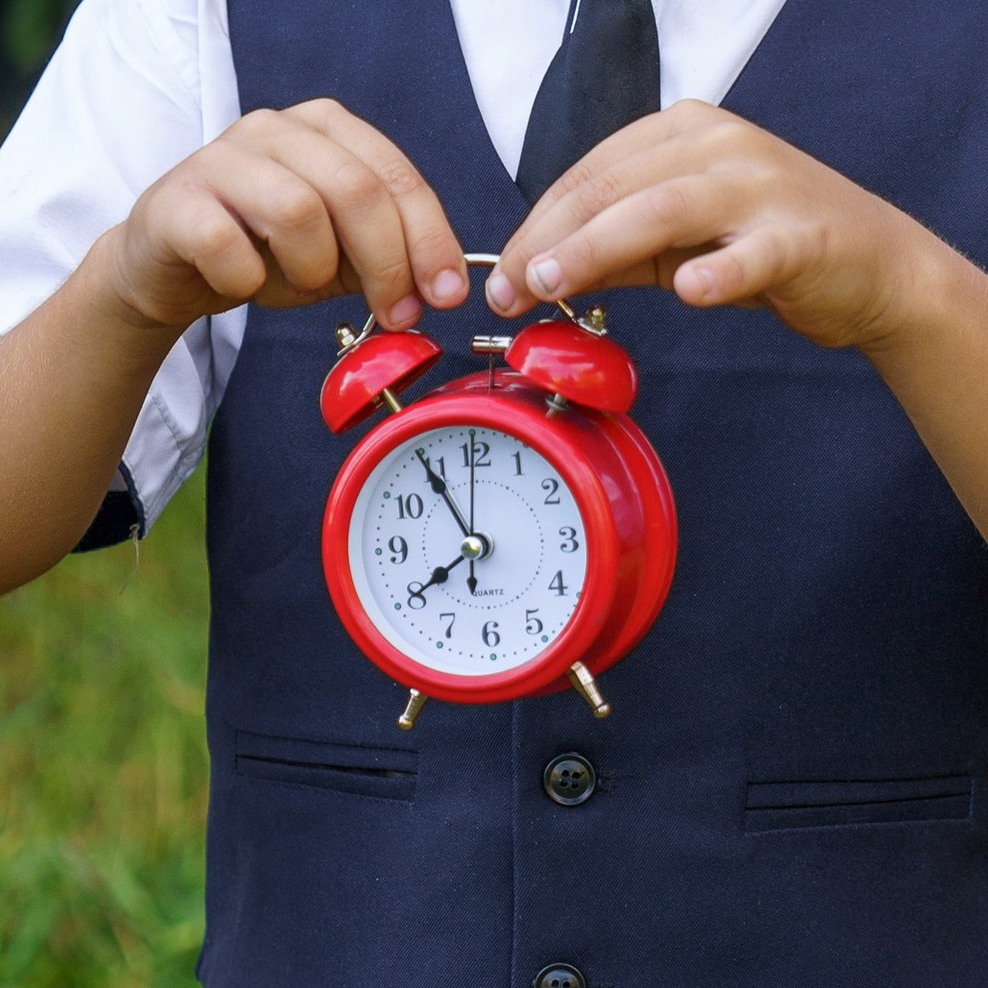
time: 7:54
